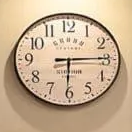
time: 6:14
